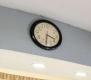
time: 3:31
